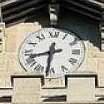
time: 8:31
